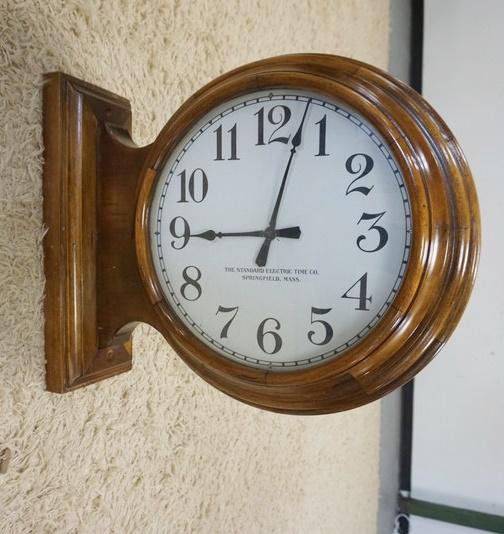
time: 9:02
